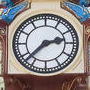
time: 2:37
